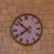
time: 7:52
